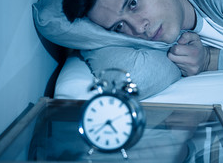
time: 4:37
